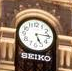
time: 5:14
